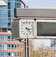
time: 3:22
